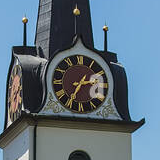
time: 2:35
